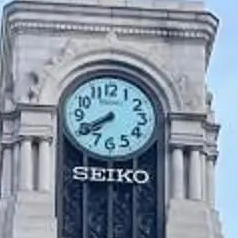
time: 7:39
